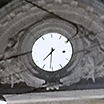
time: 7:31
